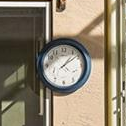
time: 1:08
